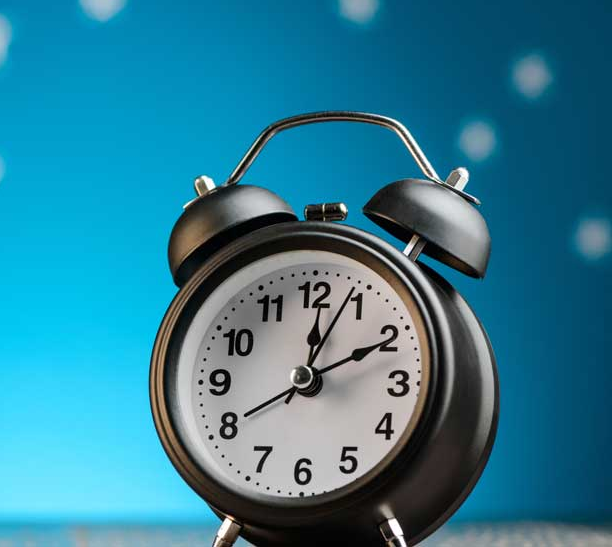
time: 12:10
